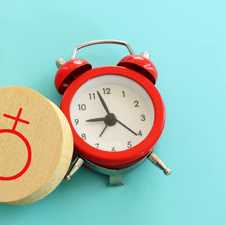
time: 8:57
